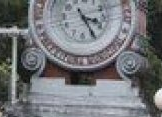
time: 3:24
